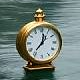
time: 12:36
